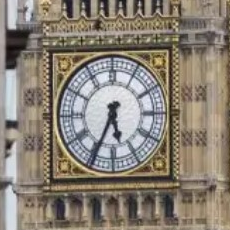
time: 5:34
